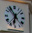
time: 6:54
